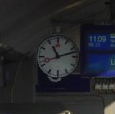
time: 11:12
